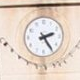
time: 2:24
